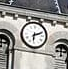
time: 6:11
